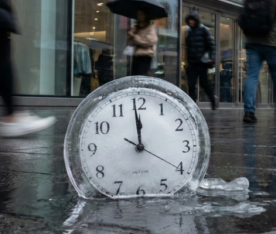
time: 11:59
